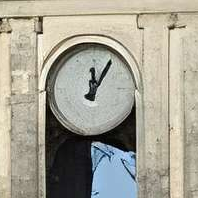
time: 12:05
